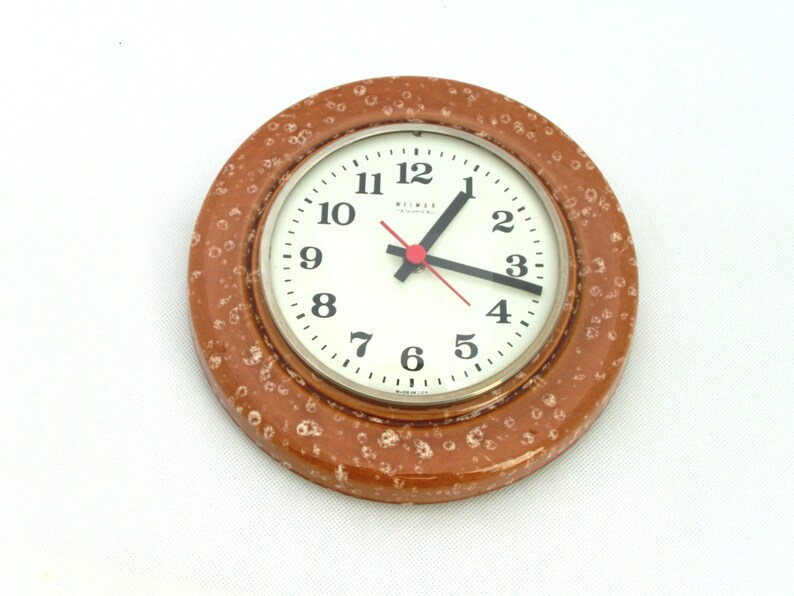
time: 1:16
